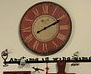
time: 8:10
